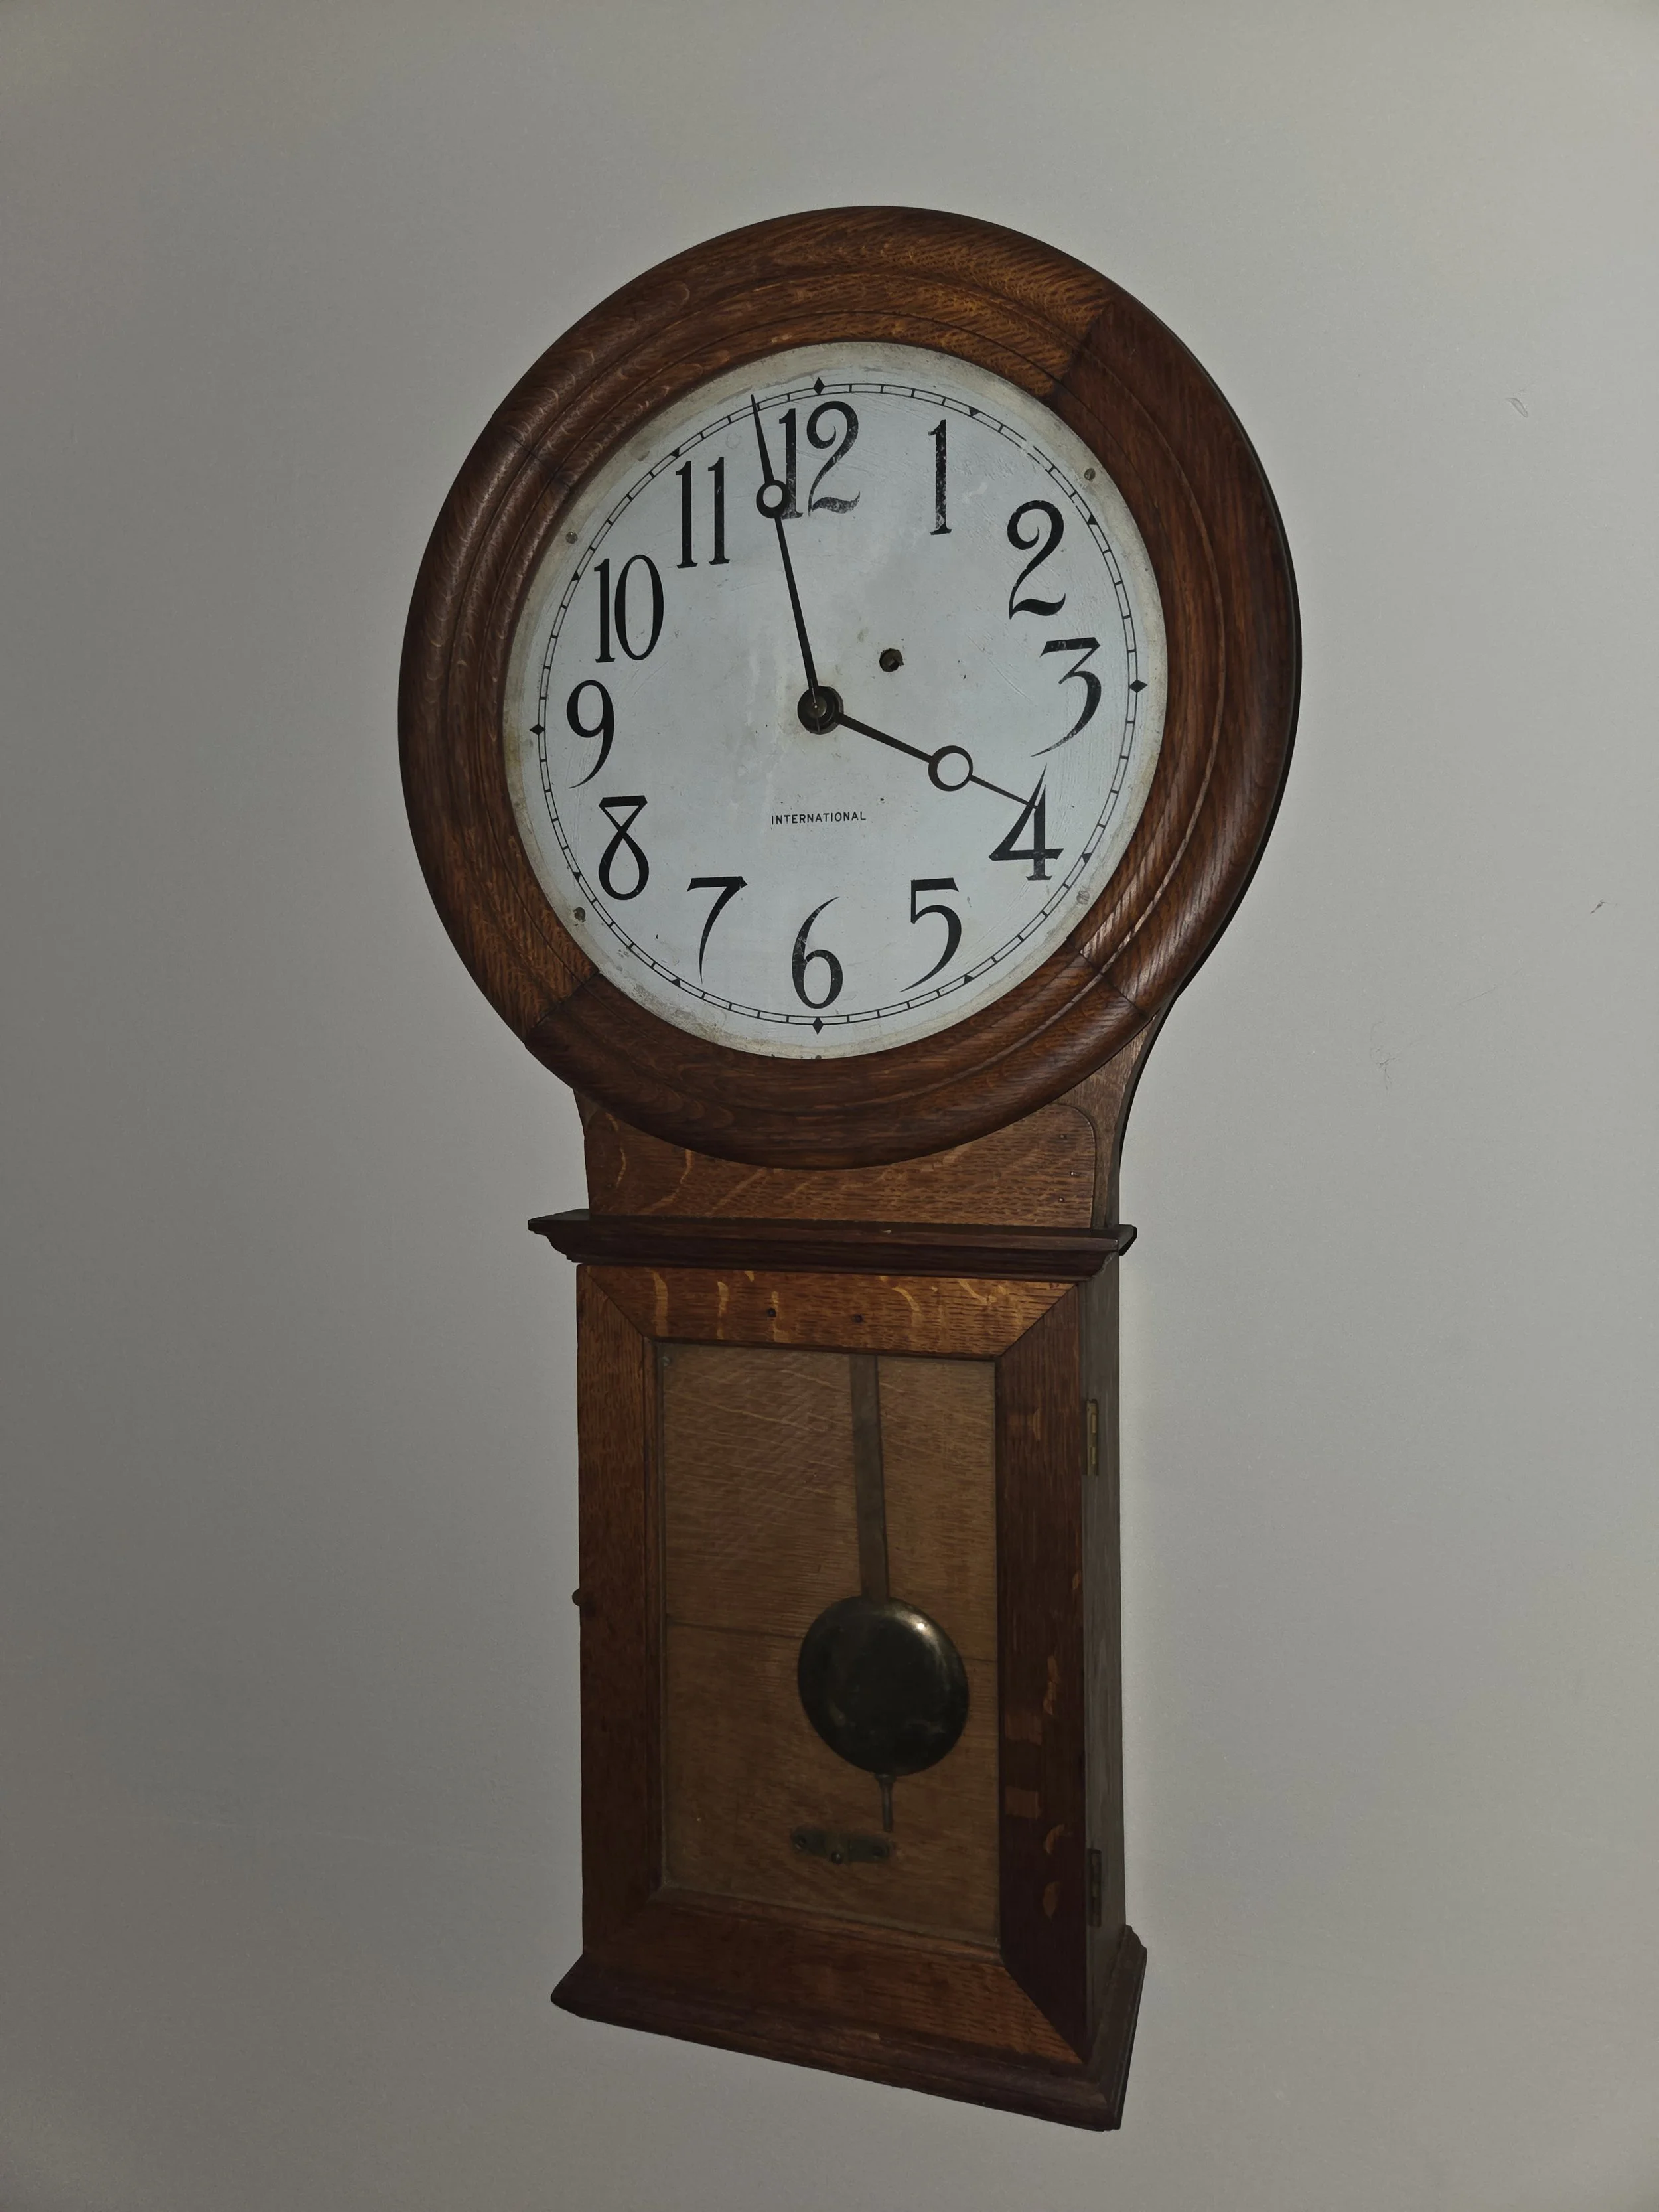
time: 3:58
